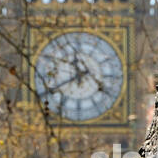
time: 11:40
